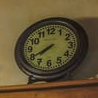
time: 7:40
